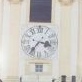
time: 3:36
